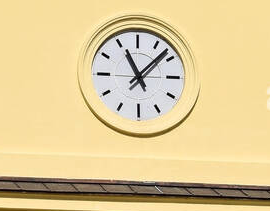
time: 11:07
